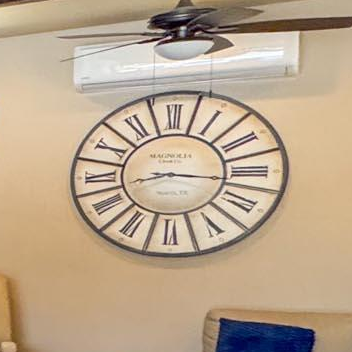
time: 8:16
